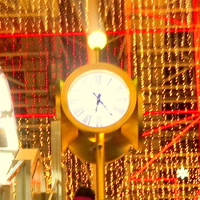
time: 6:23
